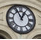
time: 12:55
